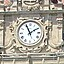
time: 1:56
